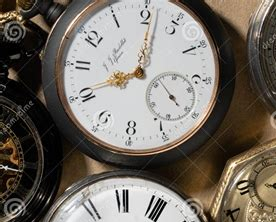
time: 8:01
